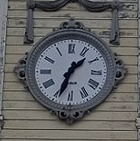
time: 1:33
